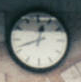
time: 12:41
